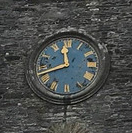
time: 11:41
